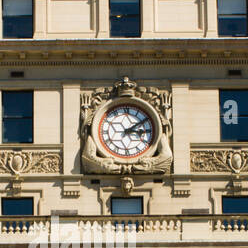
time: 3:09
